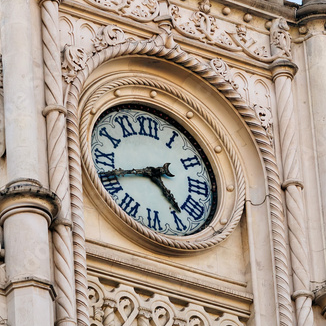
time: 4:41
